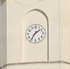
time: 1:35
